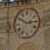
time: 2:50
